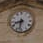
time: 8:32
